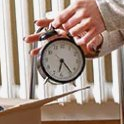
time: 6:23
